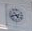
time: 4:42
